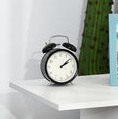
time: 2:09
